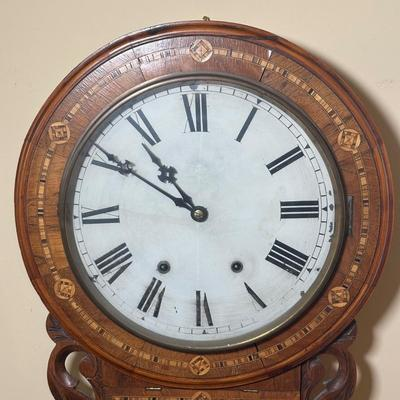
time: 10:50
